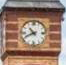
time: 10:41
